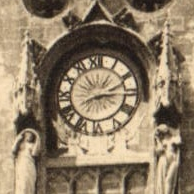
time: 3:11
